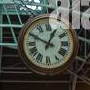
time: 12:49
